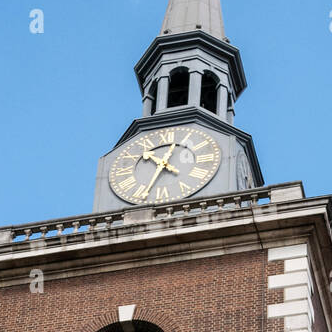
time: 10:34
